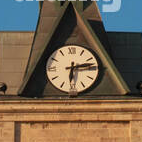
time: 6:13
